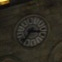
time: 7:15
